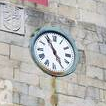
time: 4:54
